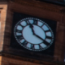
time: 11:19
